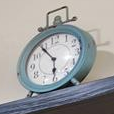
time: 5:54
